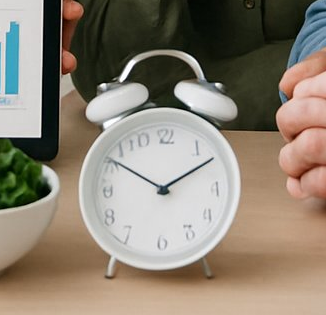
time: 10:09
